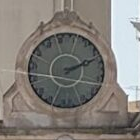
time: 2:12
